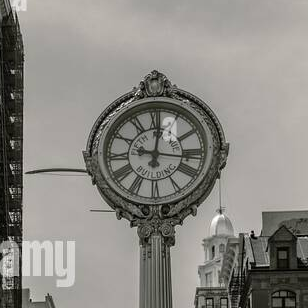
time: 12:16
